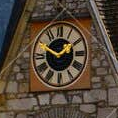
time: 1:49
